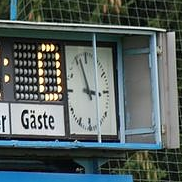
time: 2:56
